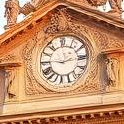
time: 2:46
